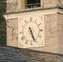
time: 5:26
